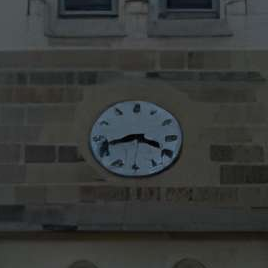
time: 3:42
